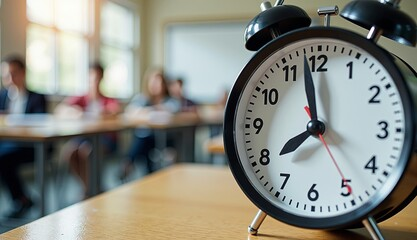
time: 7:58
